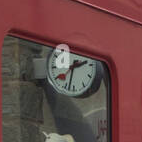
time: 1:32
